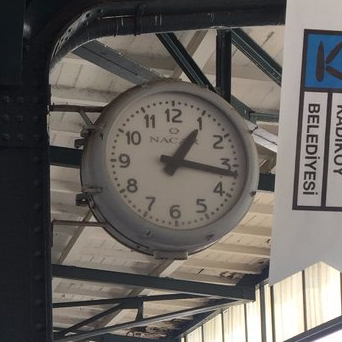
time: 1:16
